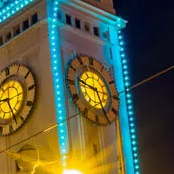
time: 9:25
